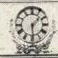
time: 1:29
